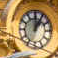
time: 12:05
